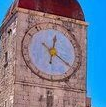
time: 12:20
